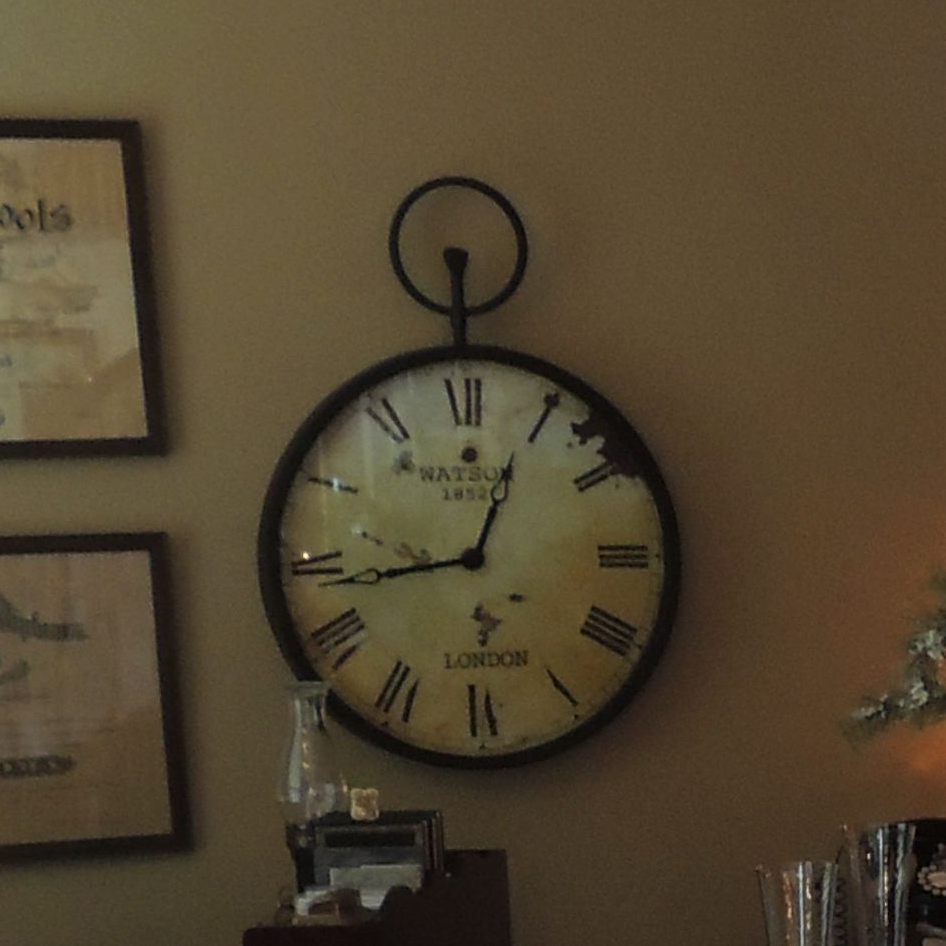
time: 12:43
